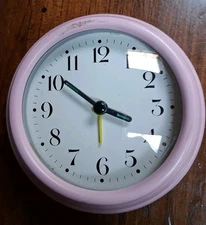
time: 3:51
